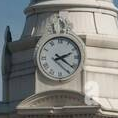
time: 2:21
